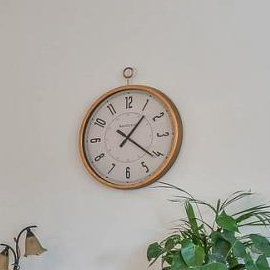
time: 1:21
